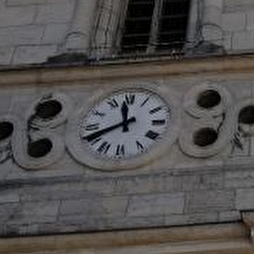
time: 11:40
